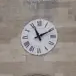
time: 11:10
